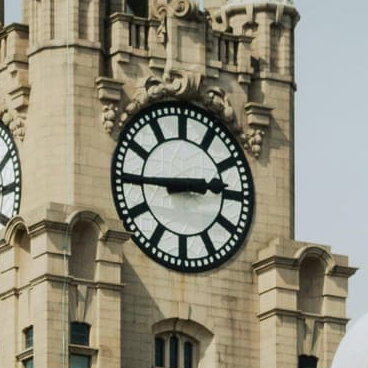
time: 2:45
